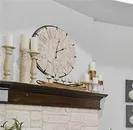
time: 2:02
